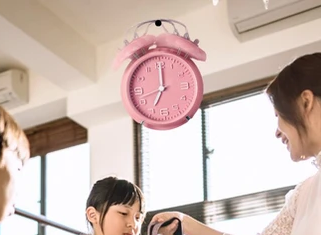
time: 7:00
